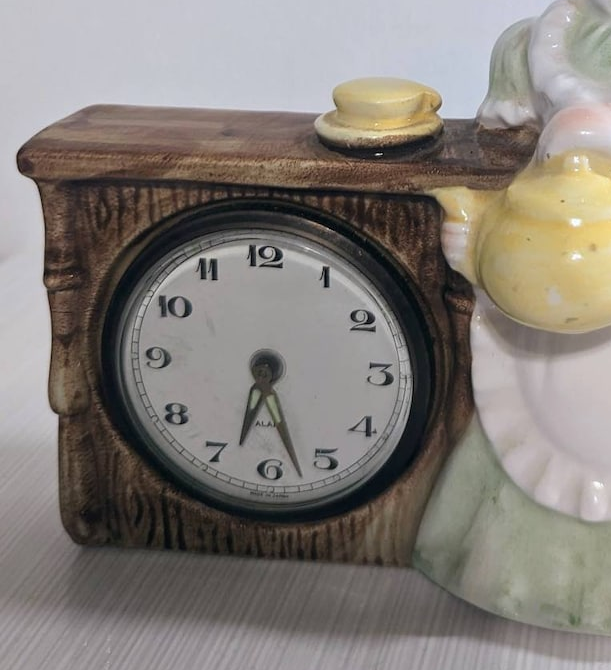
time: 6:27
